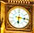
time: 6:16
